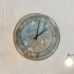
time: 2:01
